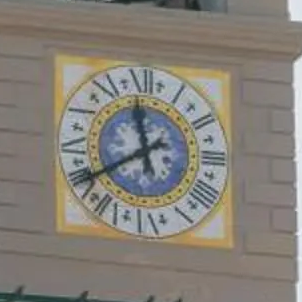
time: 11:39
